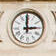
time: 2:59
